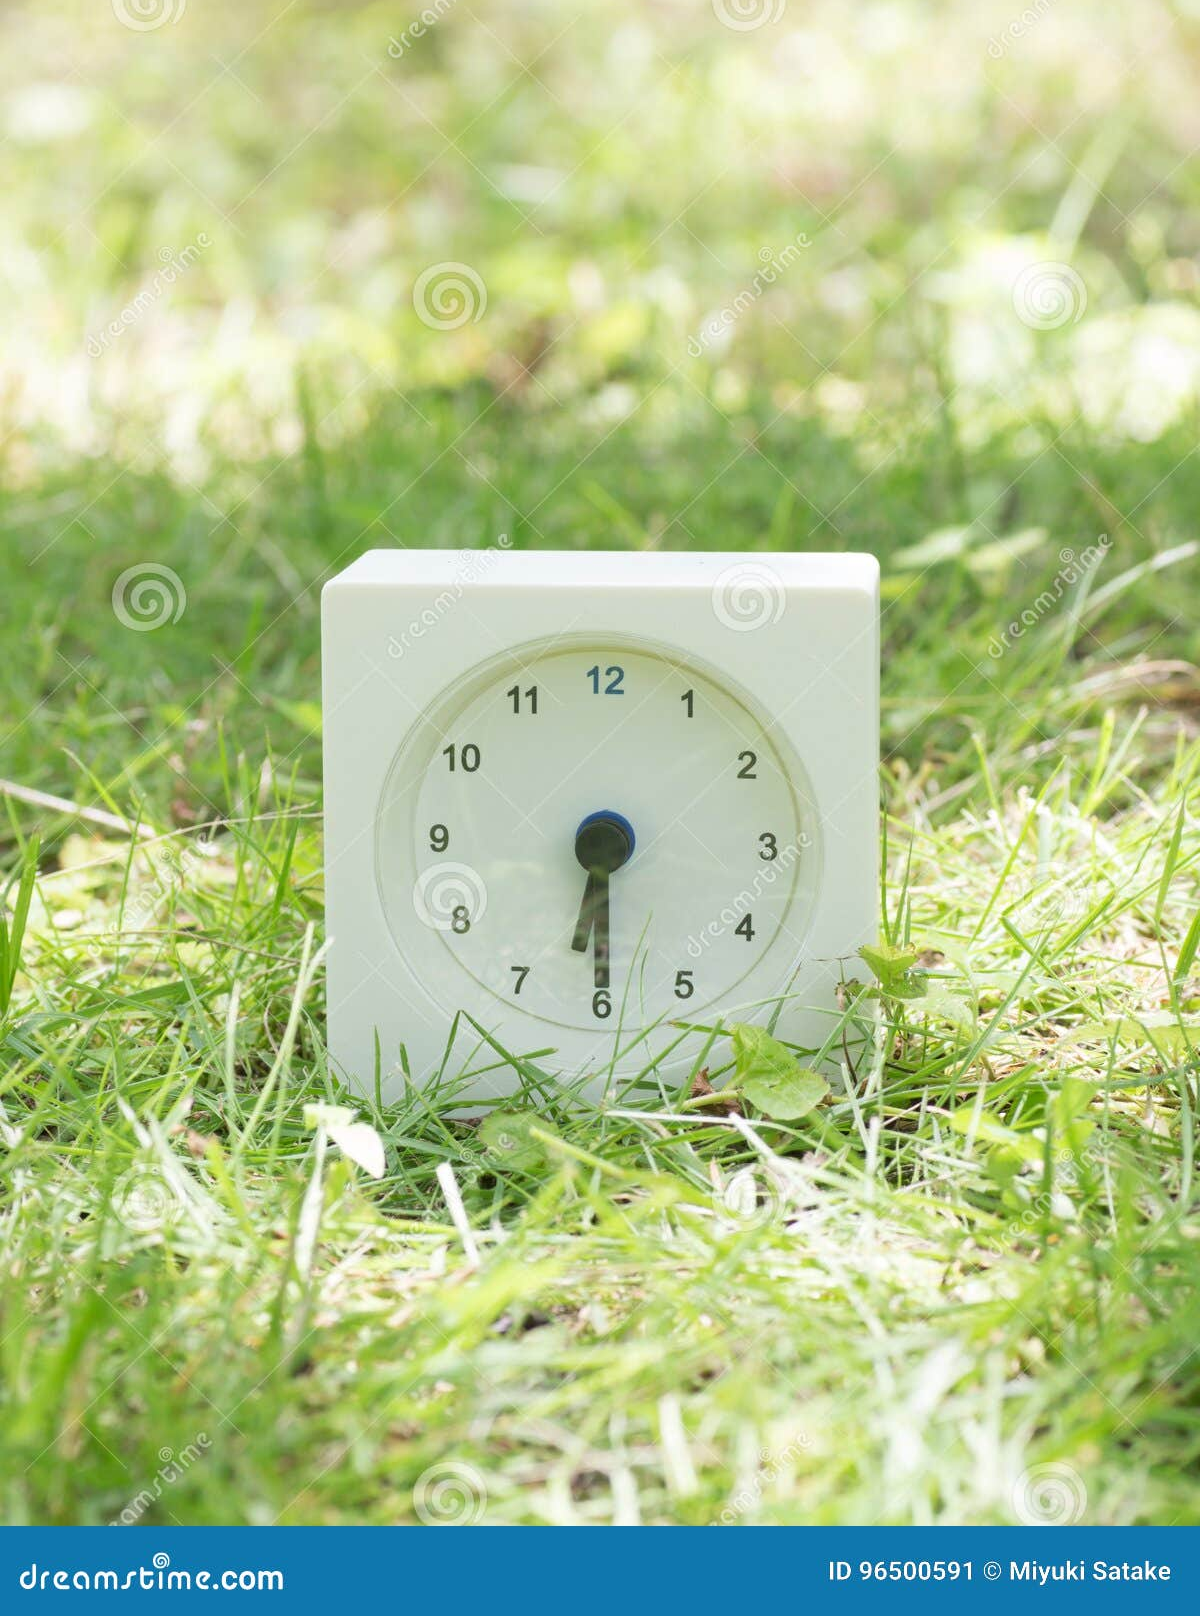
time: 6:29
